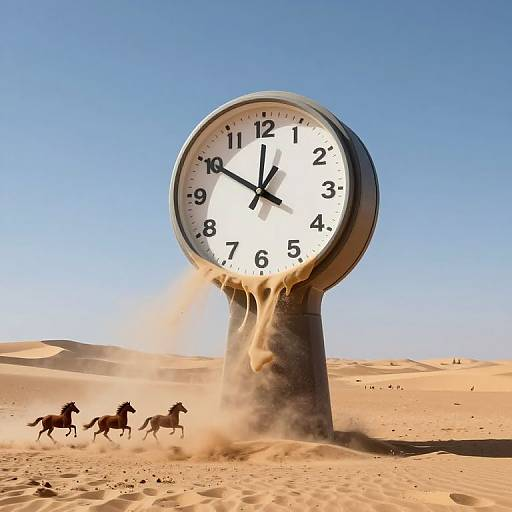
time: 12:50
